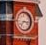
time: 7:15
